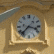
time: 3:37
